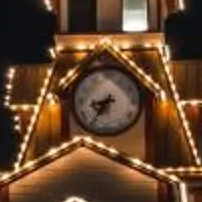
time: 8:36
